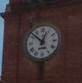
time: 12:52
